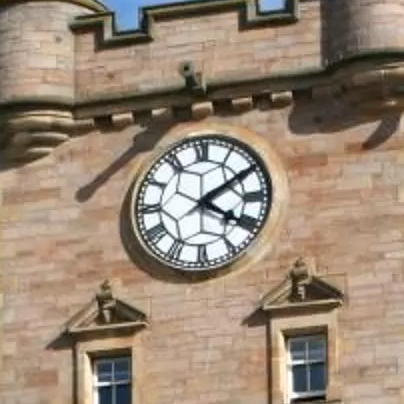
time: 4:09
